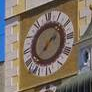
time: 1:37
